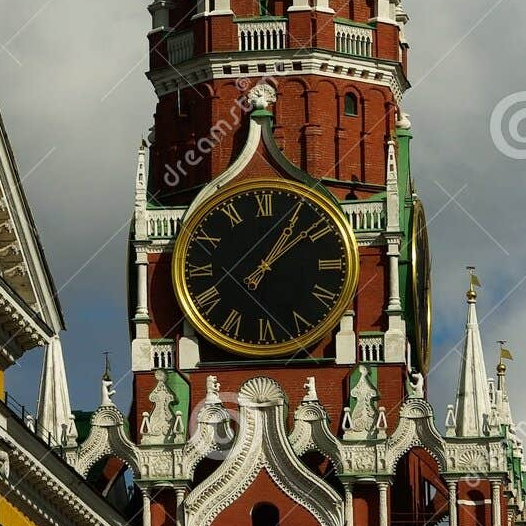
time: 1:08
